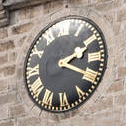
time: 2:19
